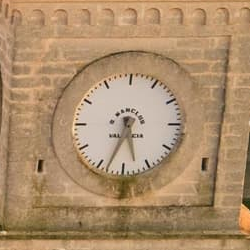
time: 5:33
